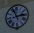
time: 11:13
